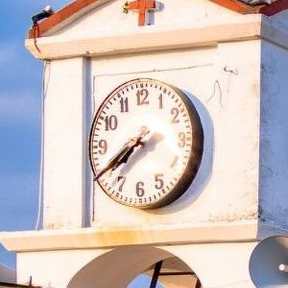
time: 7:39
